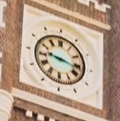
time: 9:16
